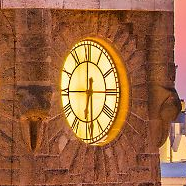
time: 5:59
